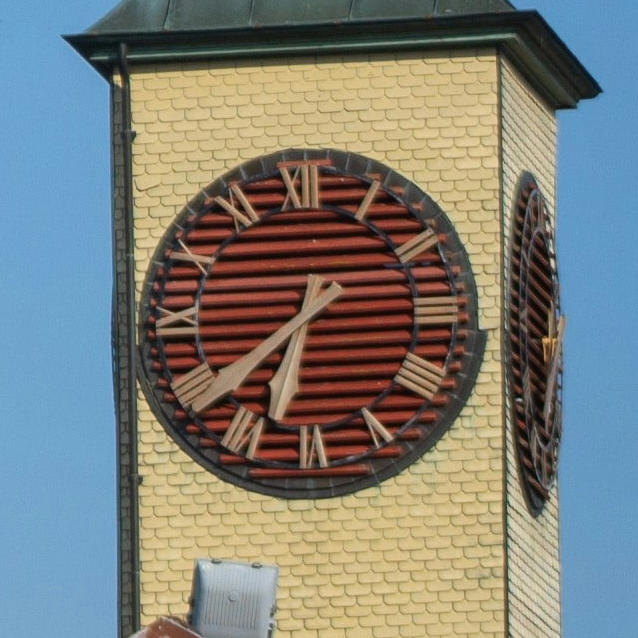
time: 6:38
